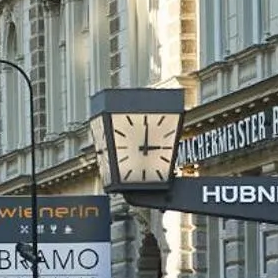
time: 3:00
